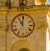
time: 11:00
